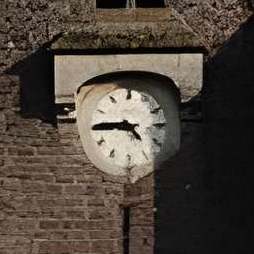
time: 4:44
